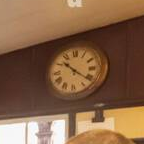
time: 10:21
